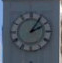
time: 2:05
